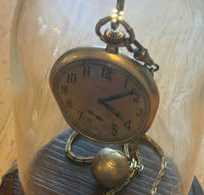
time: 4:08
